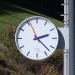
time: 2:22
